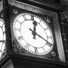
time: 12:19
